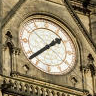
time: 1:37
